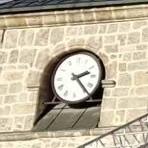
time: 2:23
